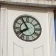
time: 7:54
